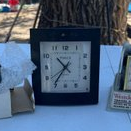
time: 10:36
